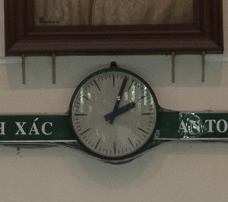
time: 2:03
